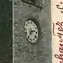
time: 2:36
